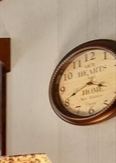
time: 3:40
